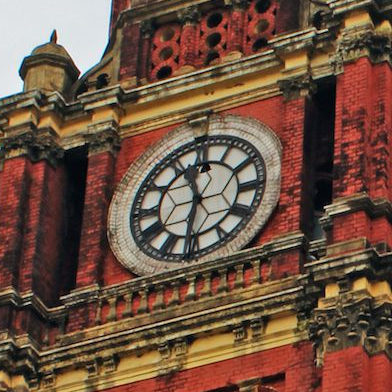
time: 11:31
